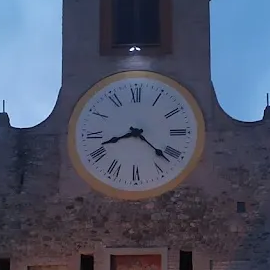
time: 8:21
